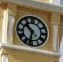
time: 10:32
